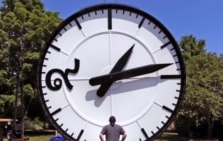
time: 1:13
